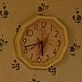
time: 5:42
